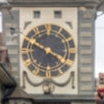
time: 3:48
